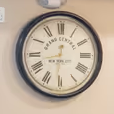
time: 8:30
